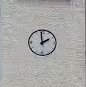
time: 1:59
